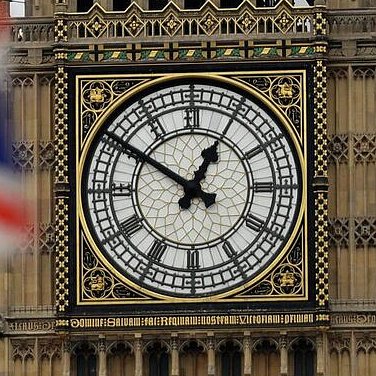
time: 12:50
